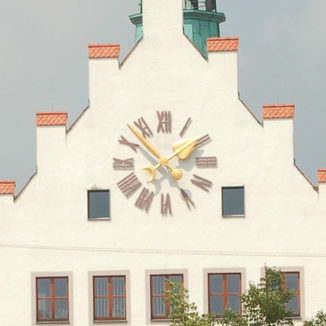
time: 1:53
